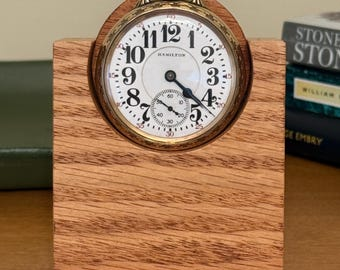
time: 4:22
